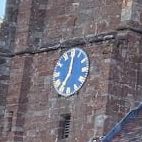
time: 7:01
